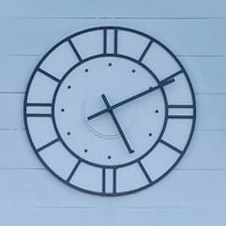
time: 5:10
